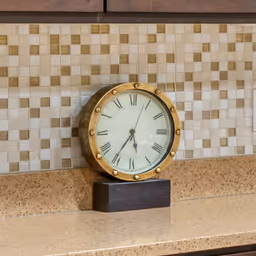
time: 5:36
